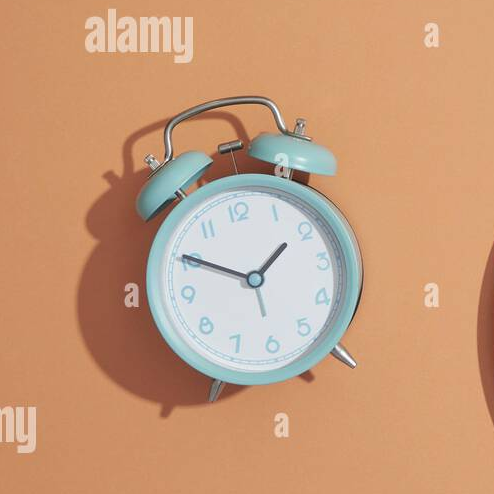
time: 1:50
